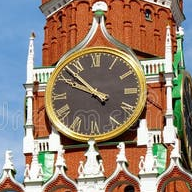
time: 9:52
